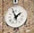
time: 1:56
